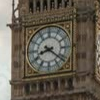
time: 8:21
